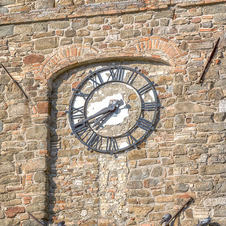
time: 7:41
